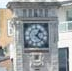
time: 1:21
